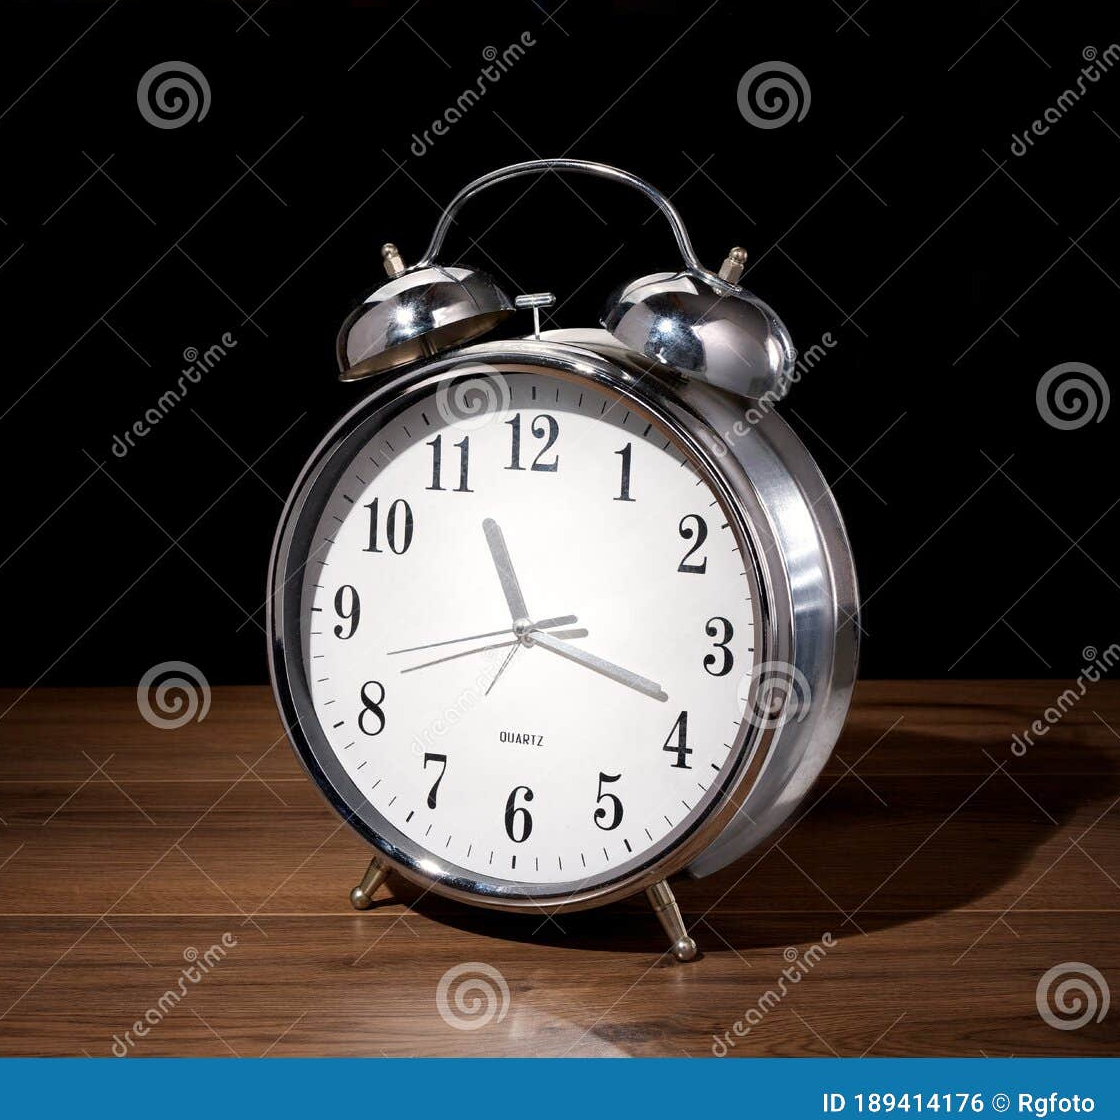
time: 11:18
